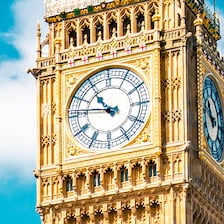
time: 10:46
